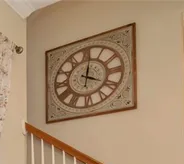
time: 4:01
